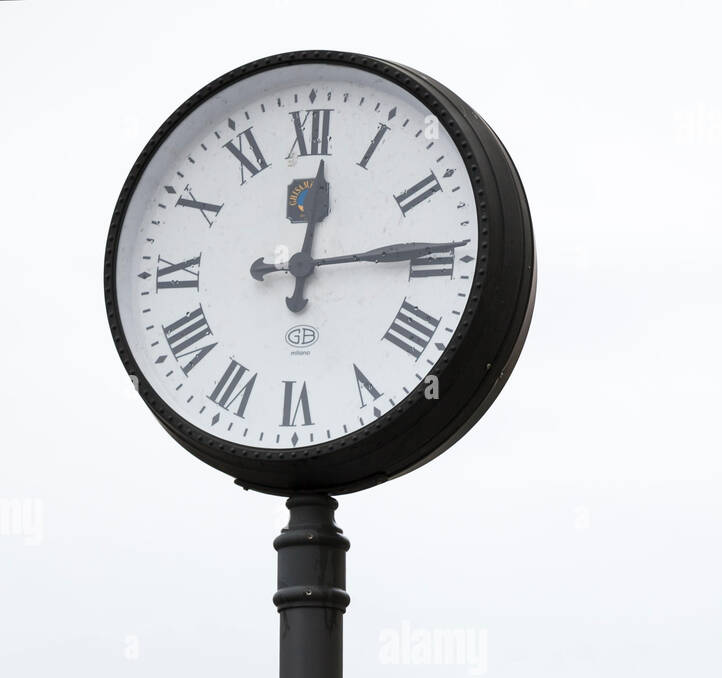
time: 12:14
